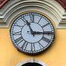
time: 11:15
